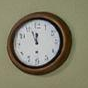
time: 11:56
